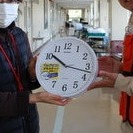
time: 10:17
